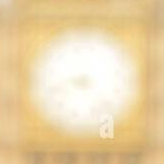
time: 4:42
